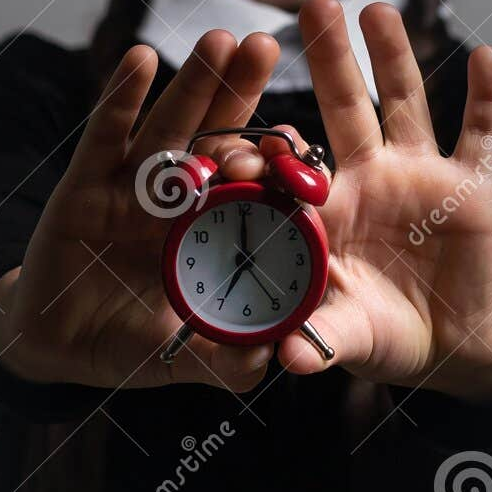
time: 7:00
